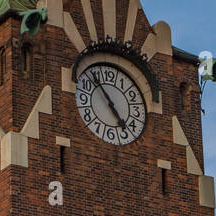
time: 4:53
